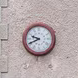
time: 9:41
